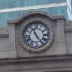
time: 11:24
